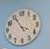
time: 3:55
